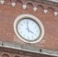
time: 3:58
